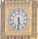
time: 5:30
